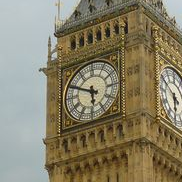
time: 5:49
